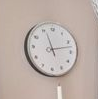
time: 11:12
